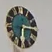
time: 6:14
